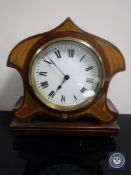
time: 6:51
